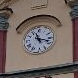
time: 11:17
